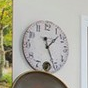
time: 1:26
